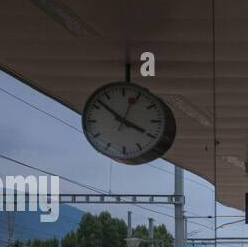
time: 3:52
